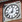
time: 12:41
